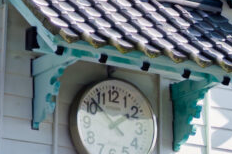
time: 1:51
